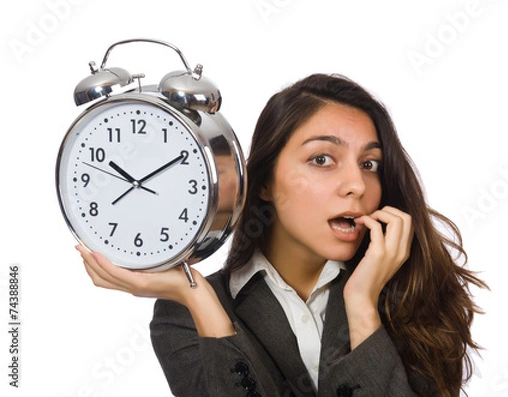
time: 10:09
